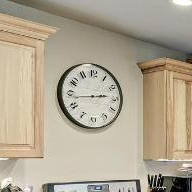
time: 2:43
